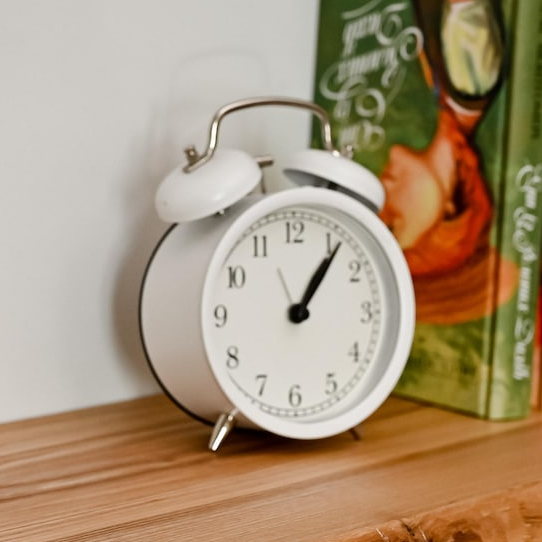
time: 1:06
